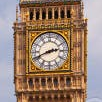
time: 2:41
